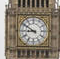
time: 8:50
